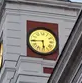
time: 5:44
